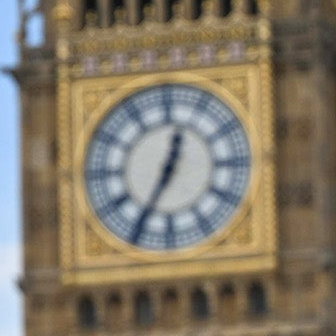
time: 12:34
